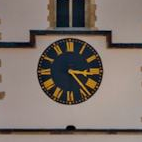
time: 3:23
